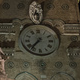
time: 11:36
